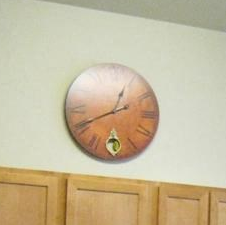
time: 12:41
